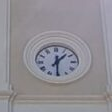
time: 1:30
